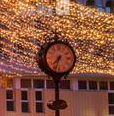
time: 7:33
